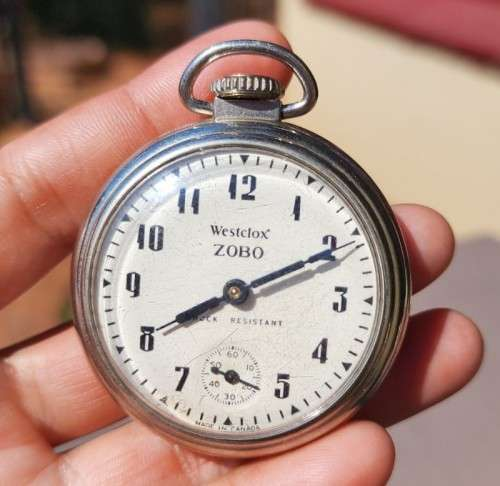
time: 8:10
